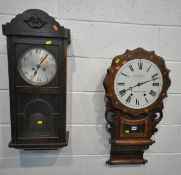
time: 8:12
